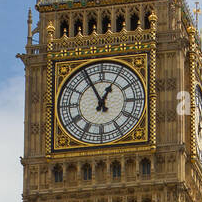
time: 12:55
